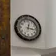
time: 12:16
